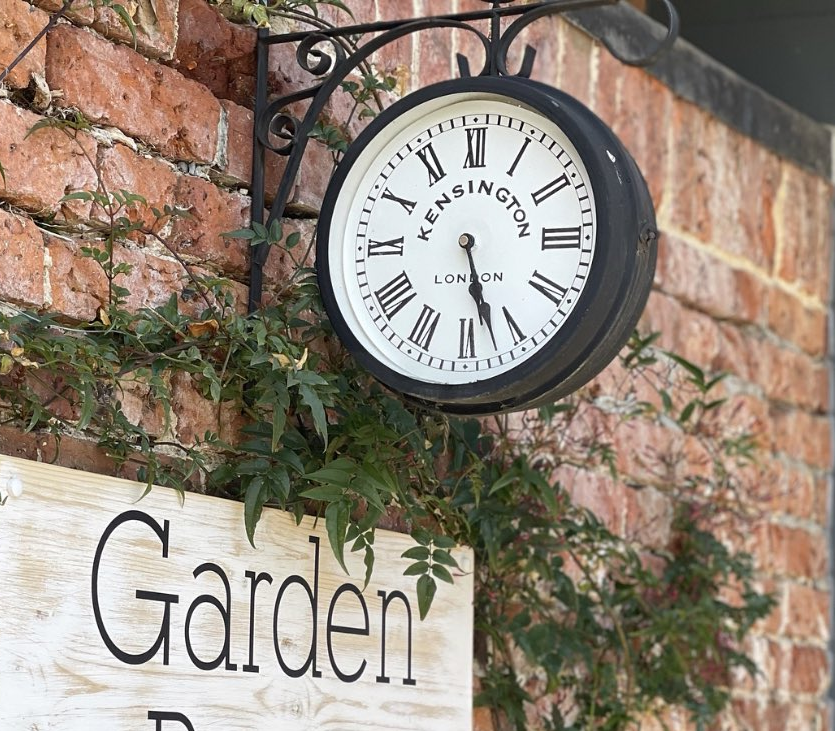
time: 5:27
